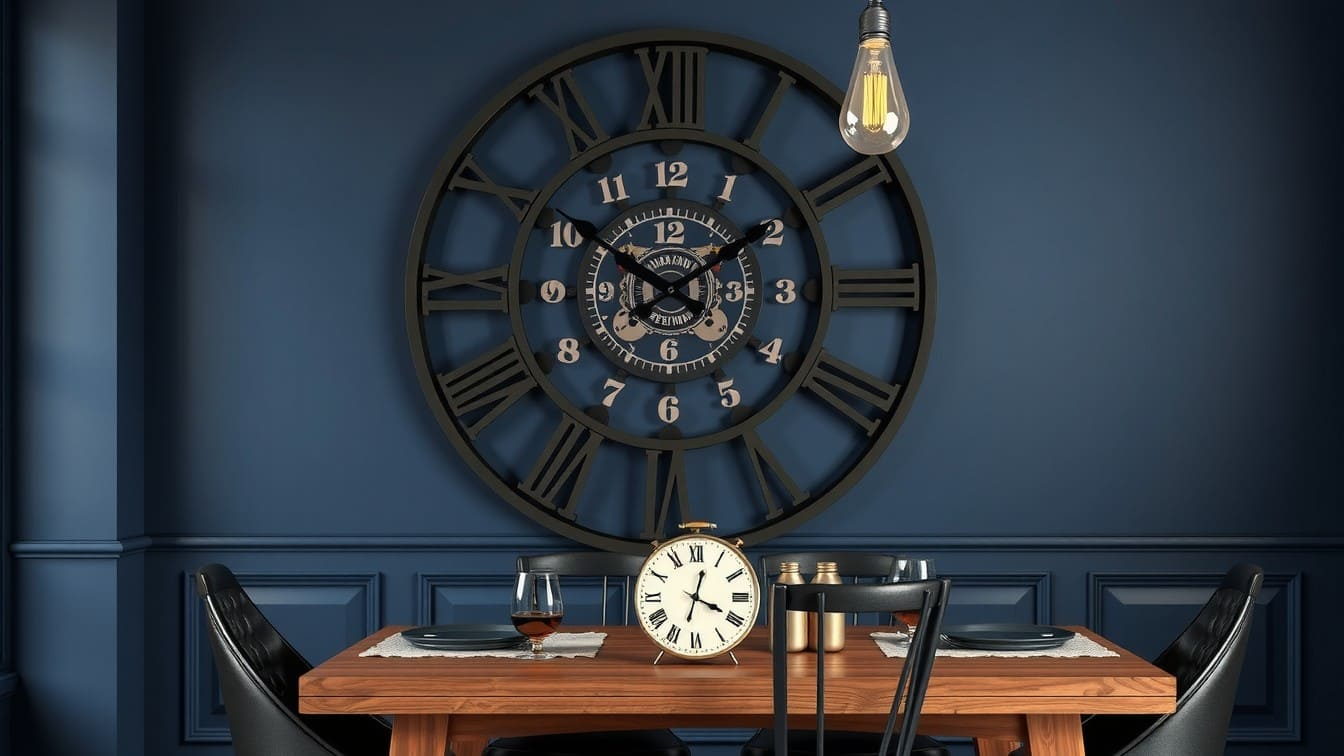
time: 1:50
